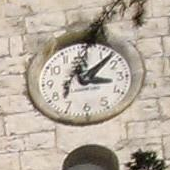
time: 3:07
